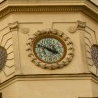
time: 3:48
